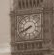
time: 7:40
